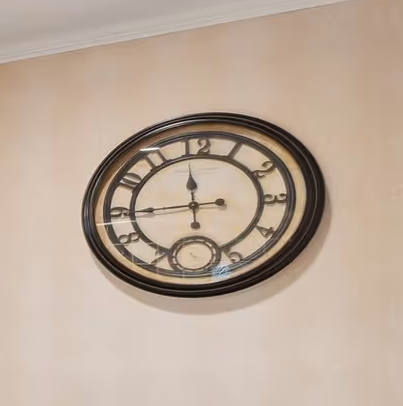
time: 11:44
